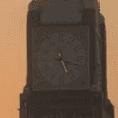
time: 5:18
